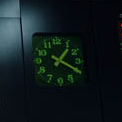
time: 1:19
